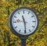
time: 11:29
